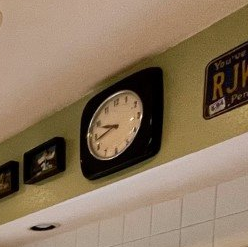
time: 9:42
